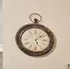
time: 5:08
